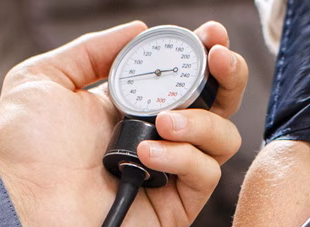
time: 2:43
